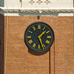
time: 1:26
